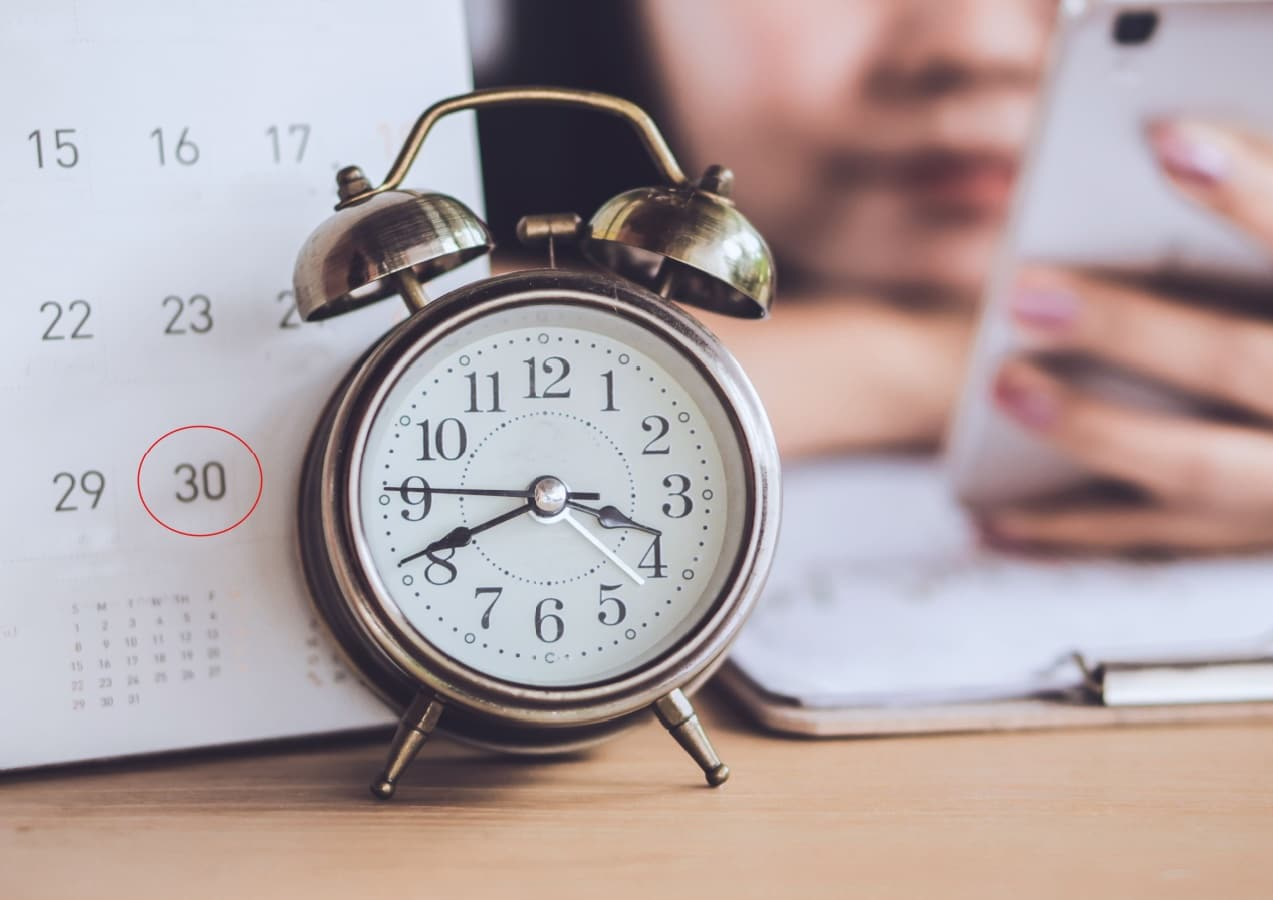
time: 3:41
